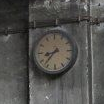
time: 8:37
